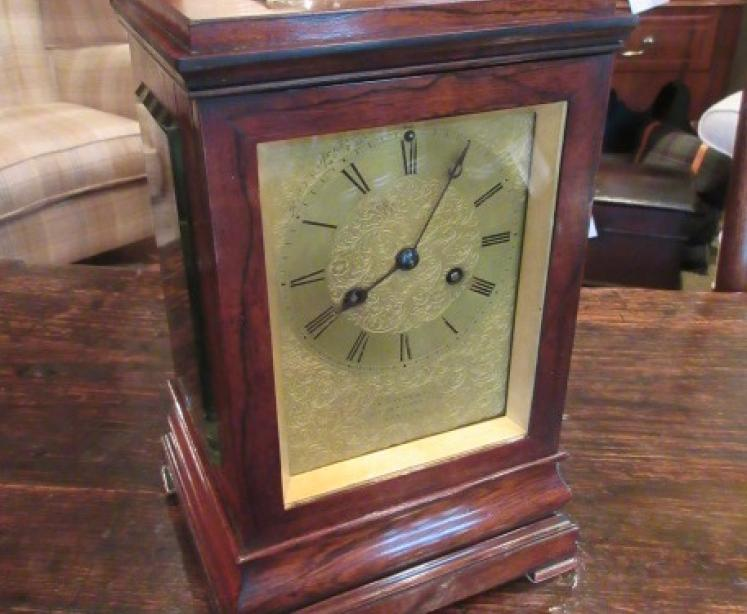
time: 8:04
